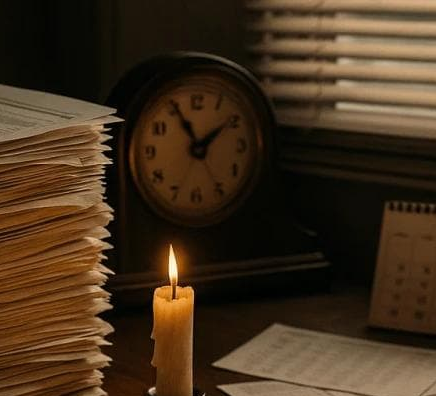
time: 1:56
